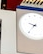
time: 9:36
